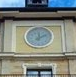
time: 12:09
